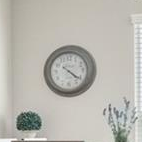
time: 4:21
